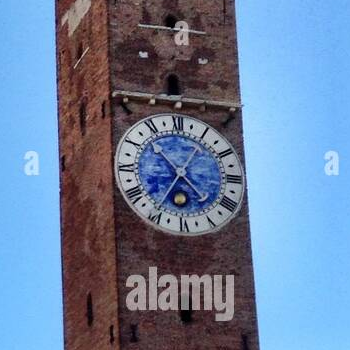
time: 4:35
